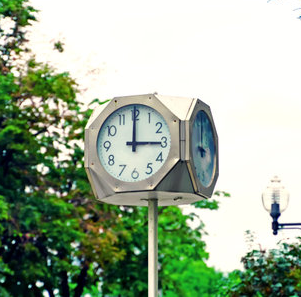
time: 3:00
